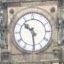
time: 10:29
